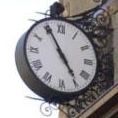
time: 4:55
